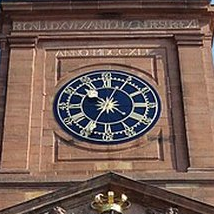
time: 10:34
